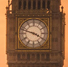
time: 3:47
